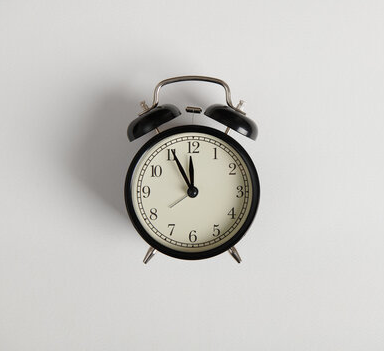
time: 11:55
